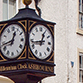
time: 12:43
